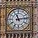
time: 11:13
